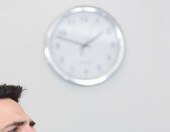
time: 1:48
